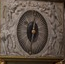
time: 12:32
